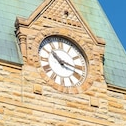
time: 10:17
